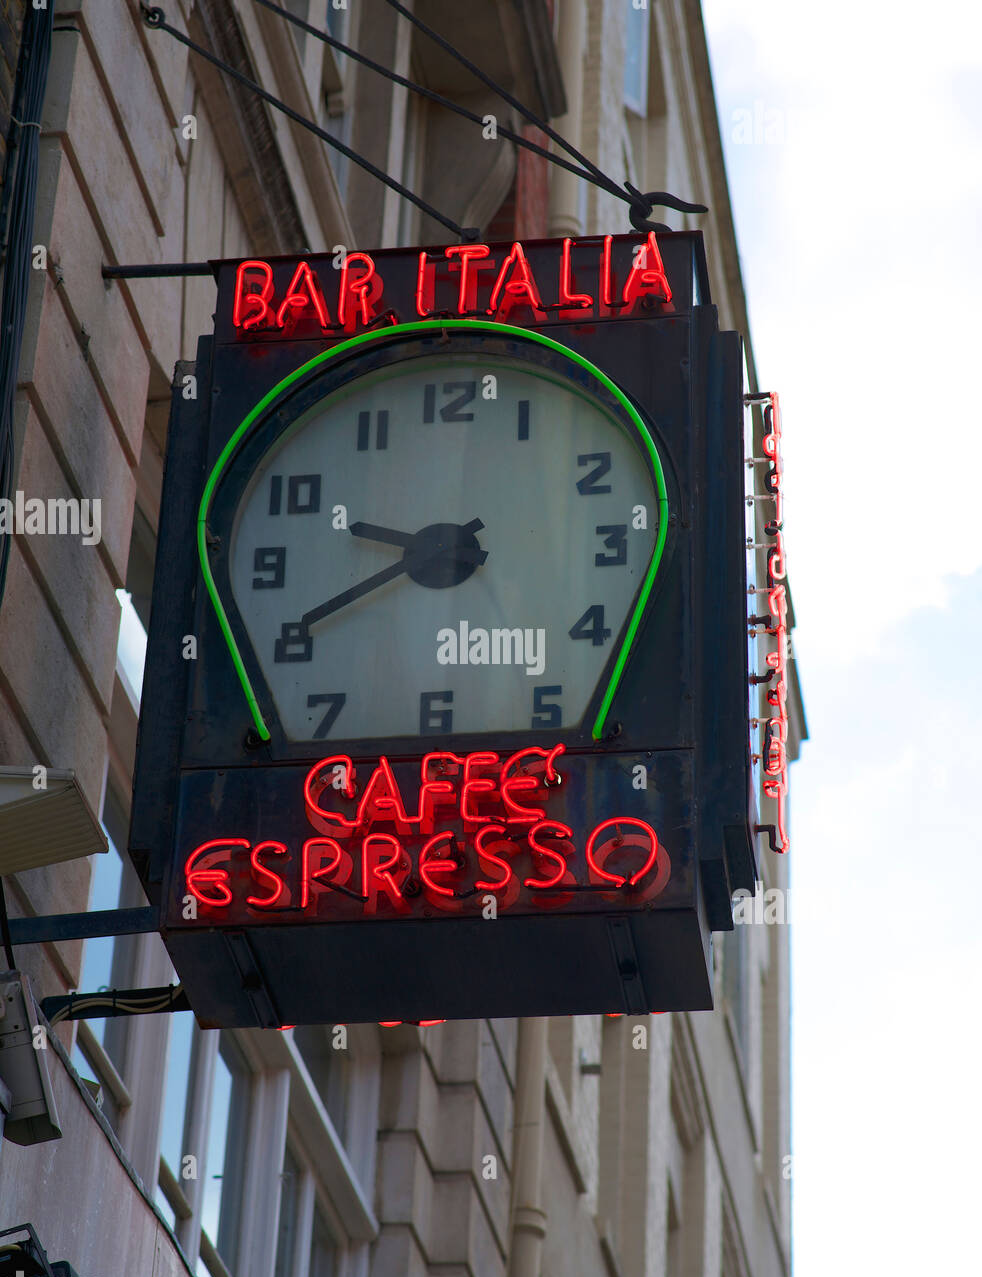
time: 9:41
